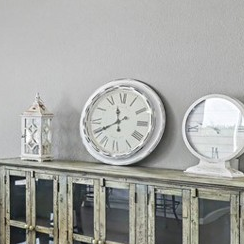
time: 11:40
